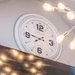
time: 7:46
